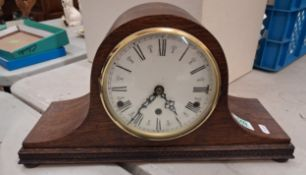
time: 4:35
